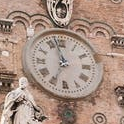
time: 6:57
